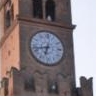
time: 6:42
